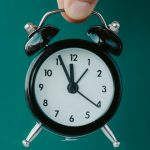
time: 11:55
